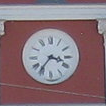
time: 3:36
